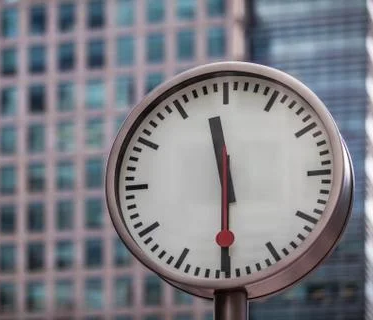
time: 11:30
